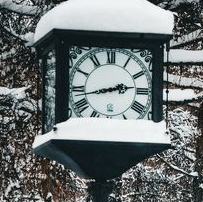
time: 2:42
